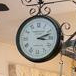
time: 3:12
